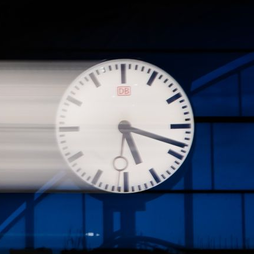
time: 5:18
